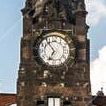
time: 6:54
